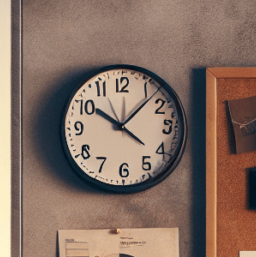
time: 10:07
